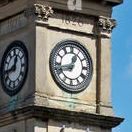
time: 12:42
